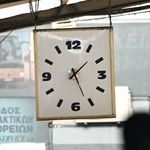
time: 1:26
